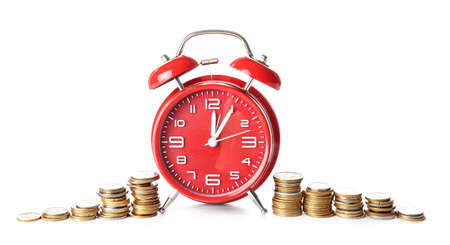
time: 12:05
